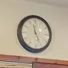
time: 11:25
